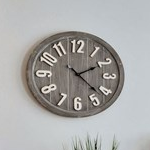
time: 2:21
